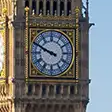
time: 9:49
